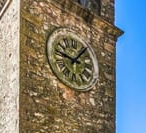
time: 9:07
